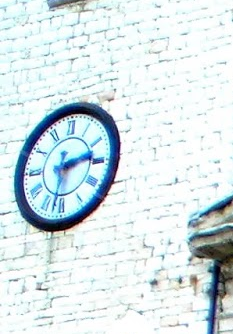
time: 2:32
